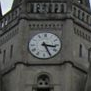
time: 3:25
